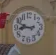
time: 8:48
